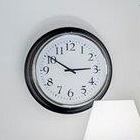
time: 2:50
